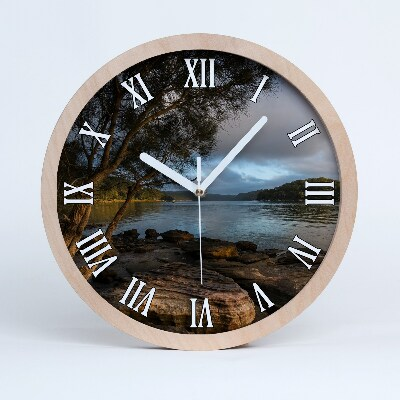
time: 10:06
